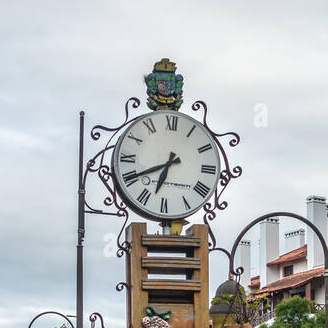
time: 6:40
